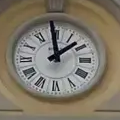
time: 1:59
